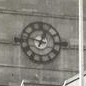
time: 12:47
